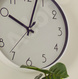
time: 10:03
